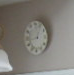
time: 12:43
